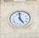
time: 4:59
